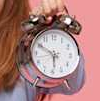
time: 5:49
